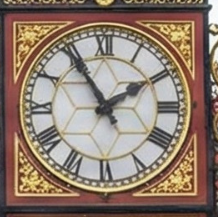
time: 1:54
